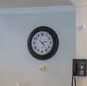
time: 2:23
